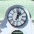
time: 1:01
